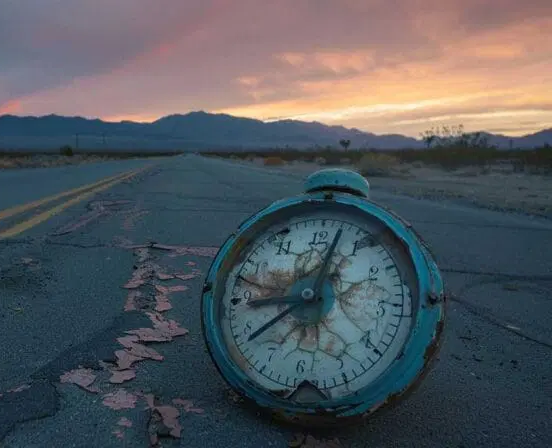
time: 8:38
